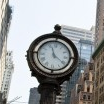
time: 11:20
